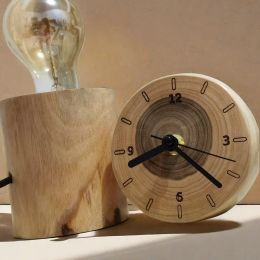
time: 8:22
